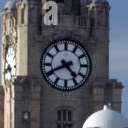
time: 4:40
